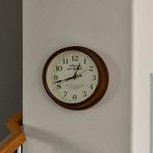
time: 12:42
